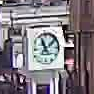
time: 11:07
